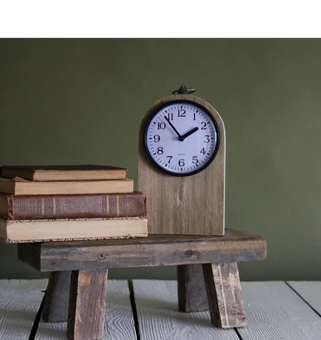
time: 1:53
